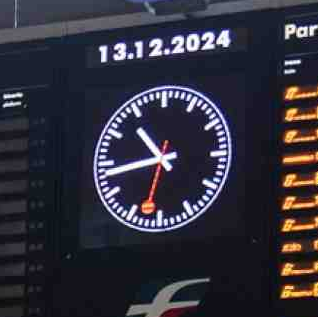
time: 10:43
